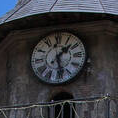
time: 1:28
